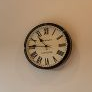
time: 10:45
